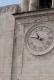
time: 10:47
